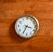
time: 3:34
